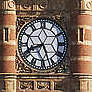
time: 8:26
